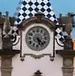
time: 5:22
